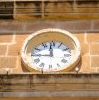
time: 11:44
